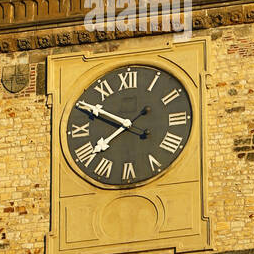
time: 7:50
